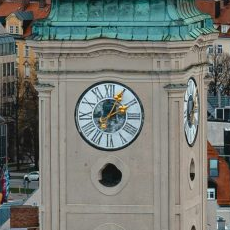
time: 2:04
